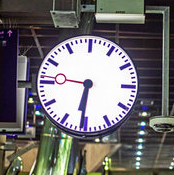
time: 6:31
